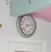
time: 2:38
